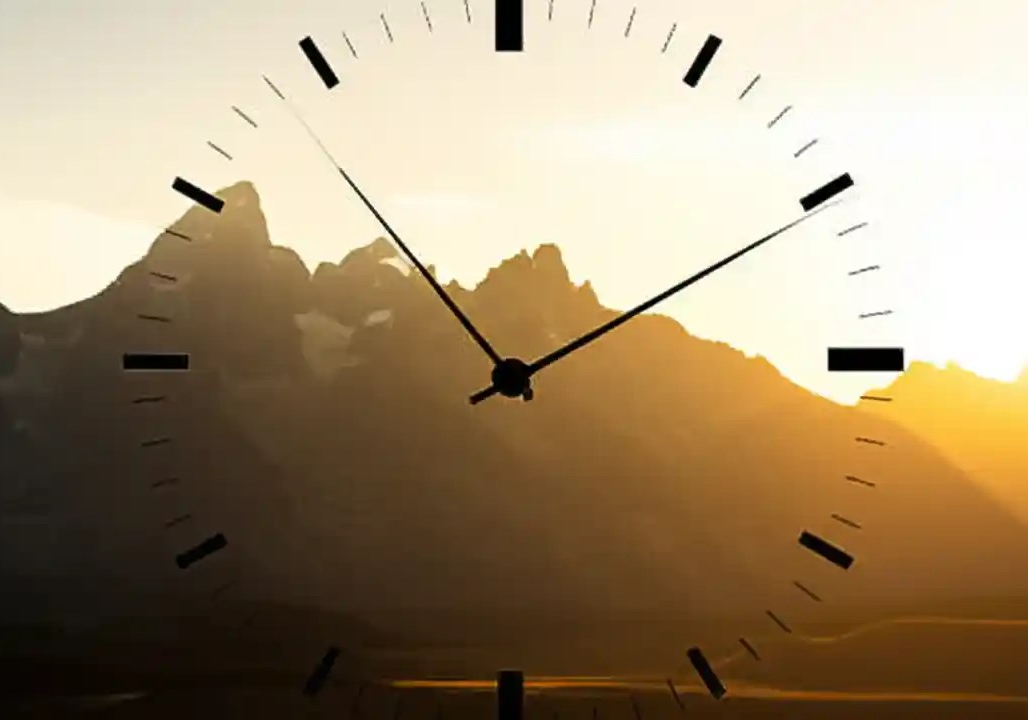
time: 1:53
